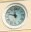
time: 11:47
